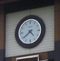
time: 4:39
